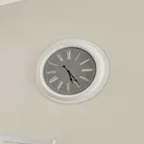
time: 5:23
